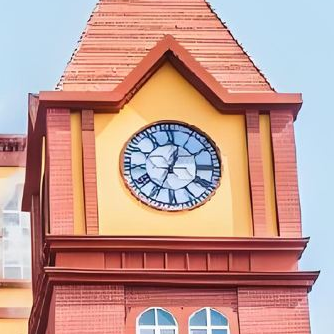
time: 12:34
